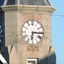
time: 6:15
